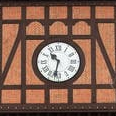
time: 10:32
